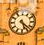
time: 5:22
